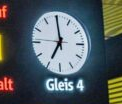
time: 6:59
